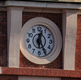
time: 12:25
